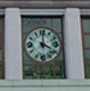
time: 4:00
